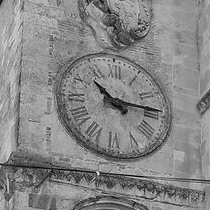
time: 10:13
